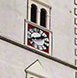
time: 1:41
